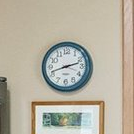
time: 2:42
